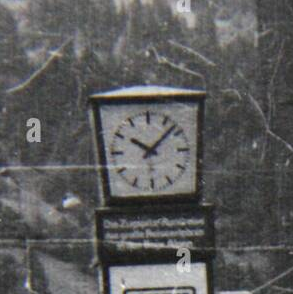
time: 10:07
